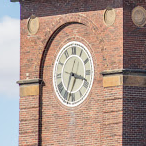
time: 3:34
